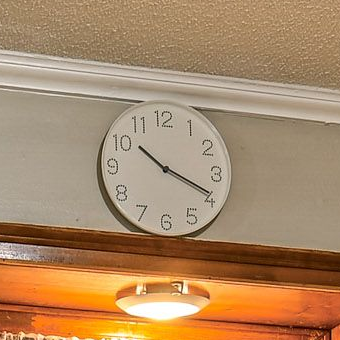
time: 10:19
